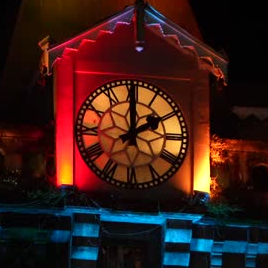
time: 1:59
